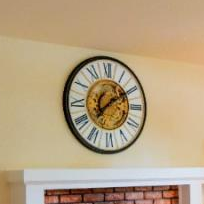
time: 7:09
